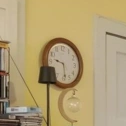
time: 9:28
